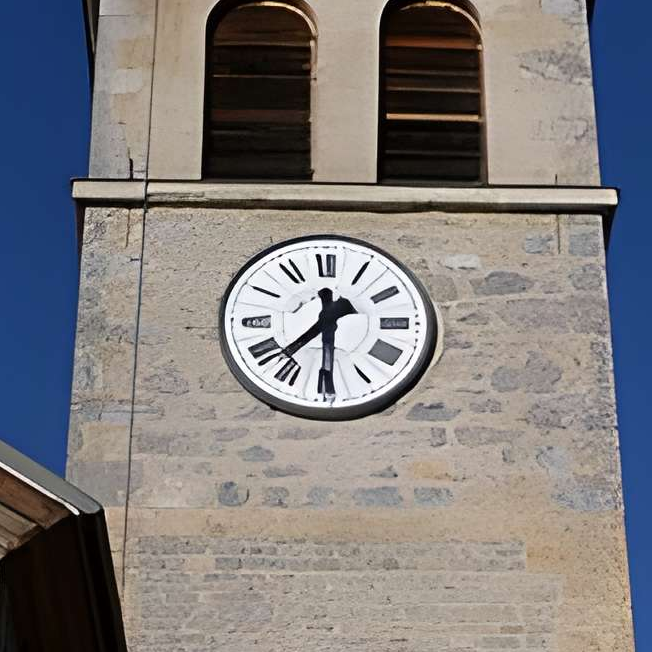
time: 7:30
